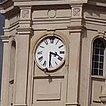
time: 3:30
